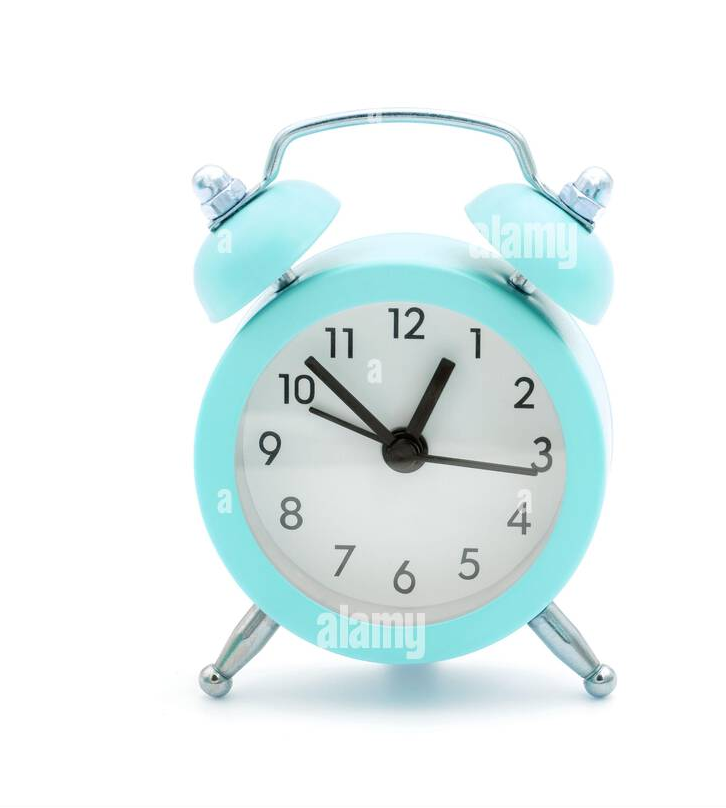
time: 12:52
